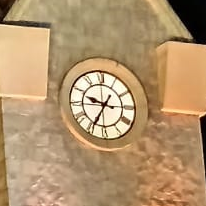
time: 9:35
